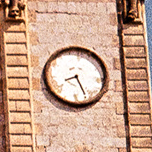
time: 8:26
